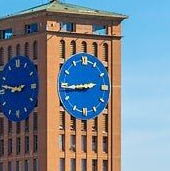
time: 2:44
